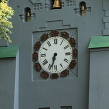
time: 6:33
